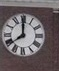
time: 7:59
